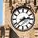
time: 2:38
